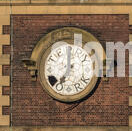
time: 7:00
